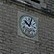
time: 10:02
